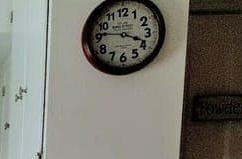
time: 3:46
